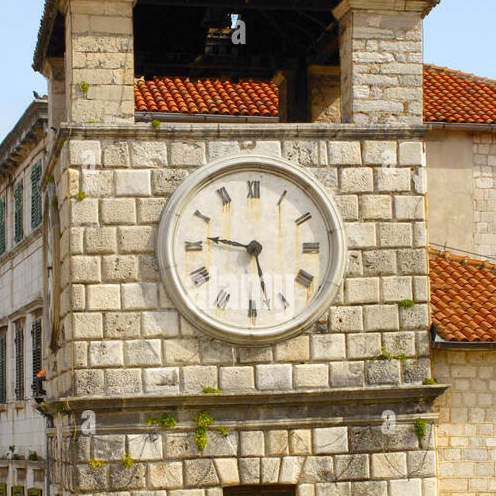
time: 9:27
